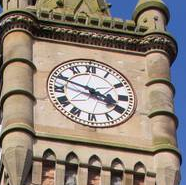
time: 3:48
